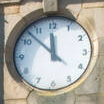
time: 11:52
